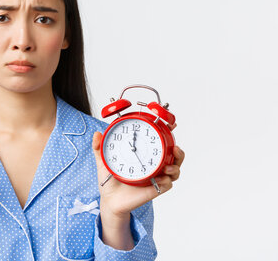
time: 11:59
